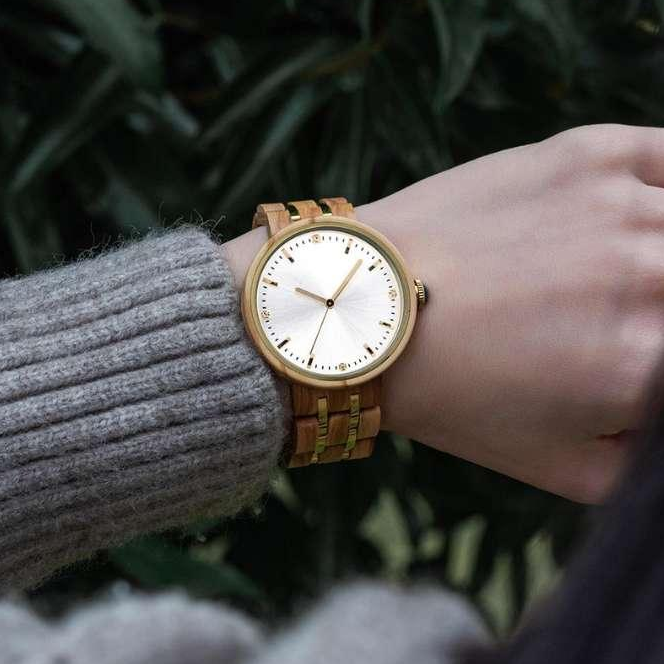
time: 9:08
